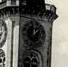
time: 12:07
